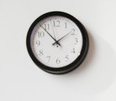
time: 1:53
